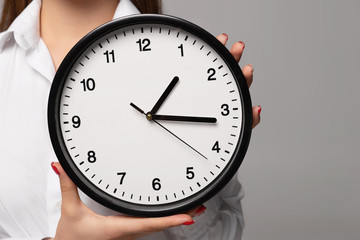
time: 1:16
